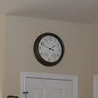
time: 1:48
